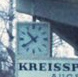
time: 10:39
